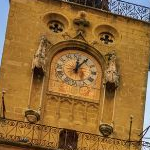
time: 12:05
